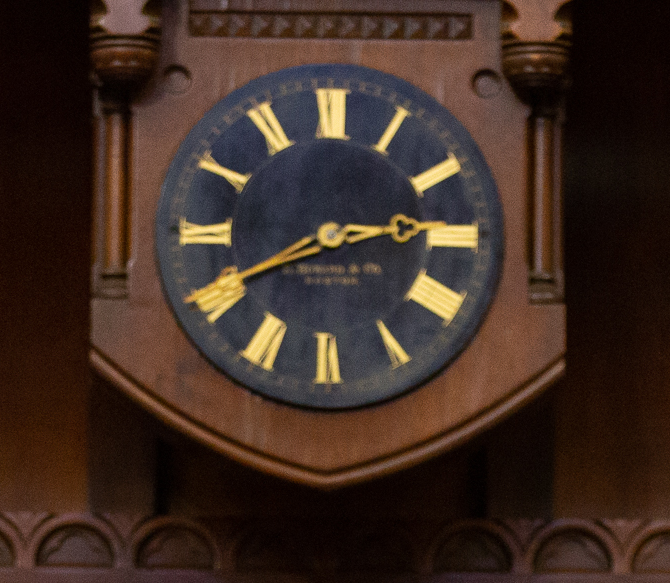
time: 2:40
